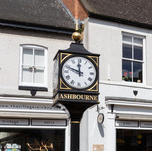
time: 11:48
